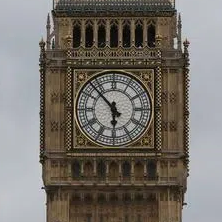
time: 5:52
